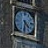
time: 4:31
